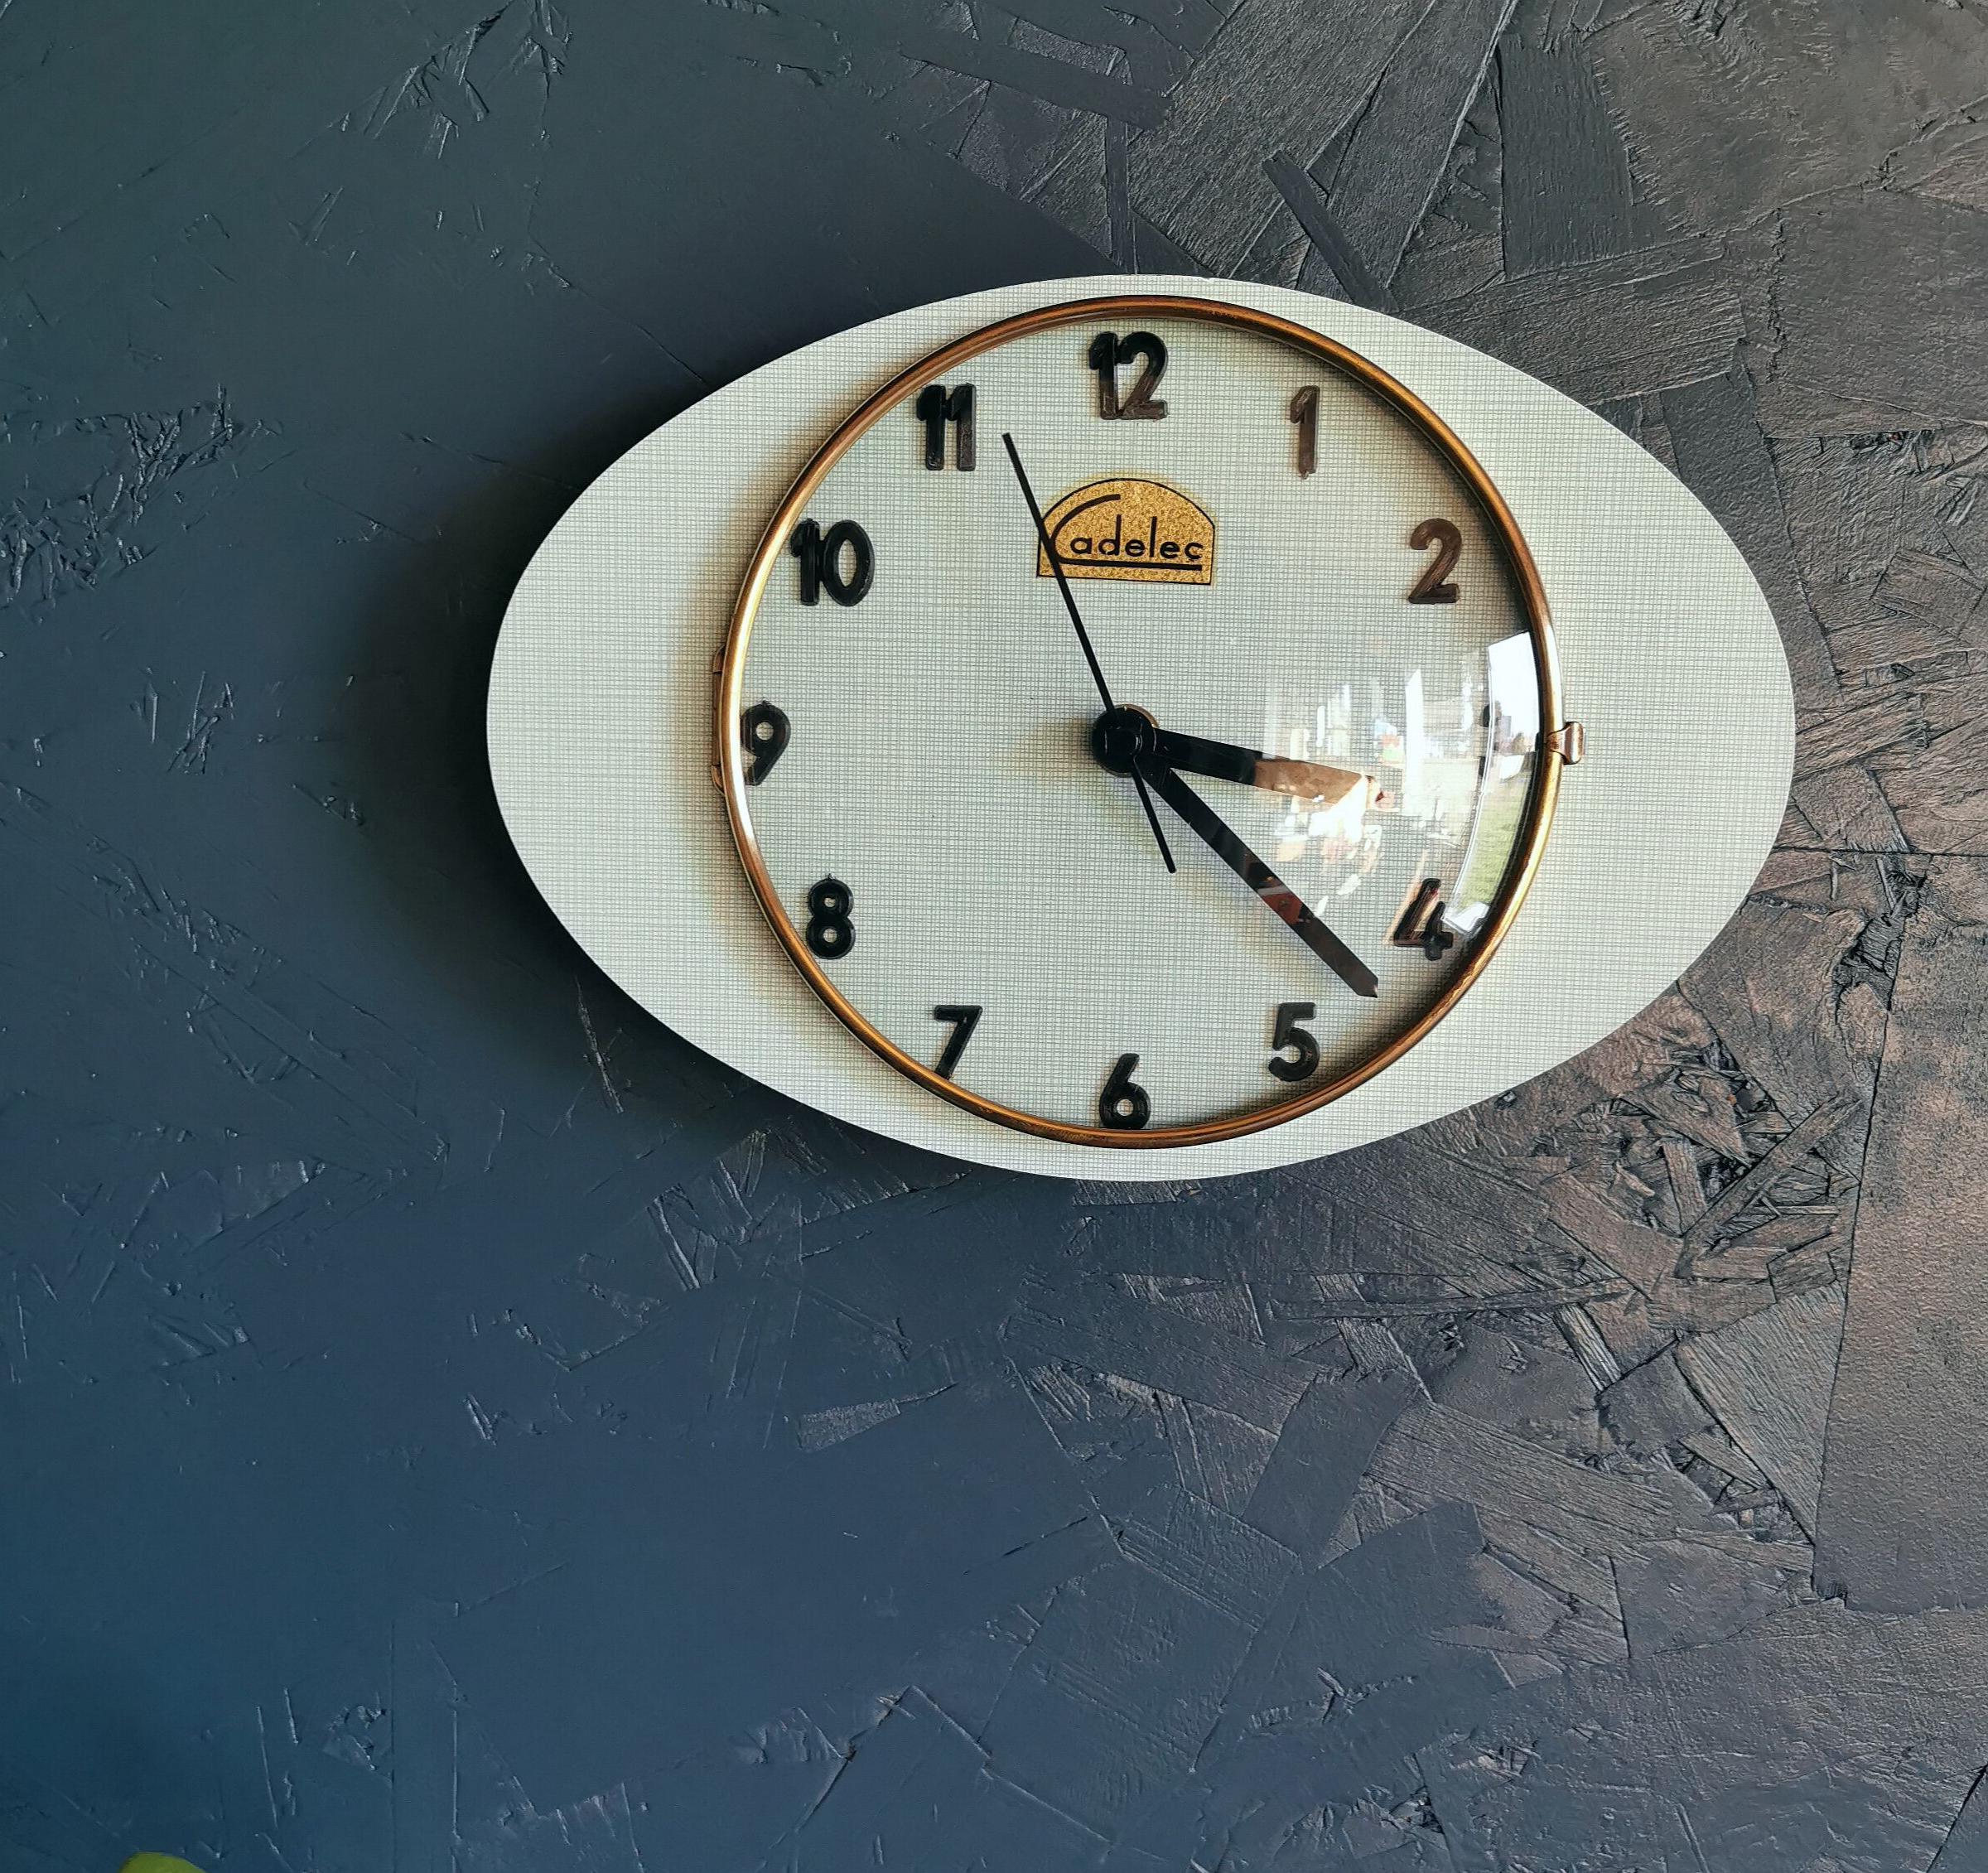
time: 3:22
